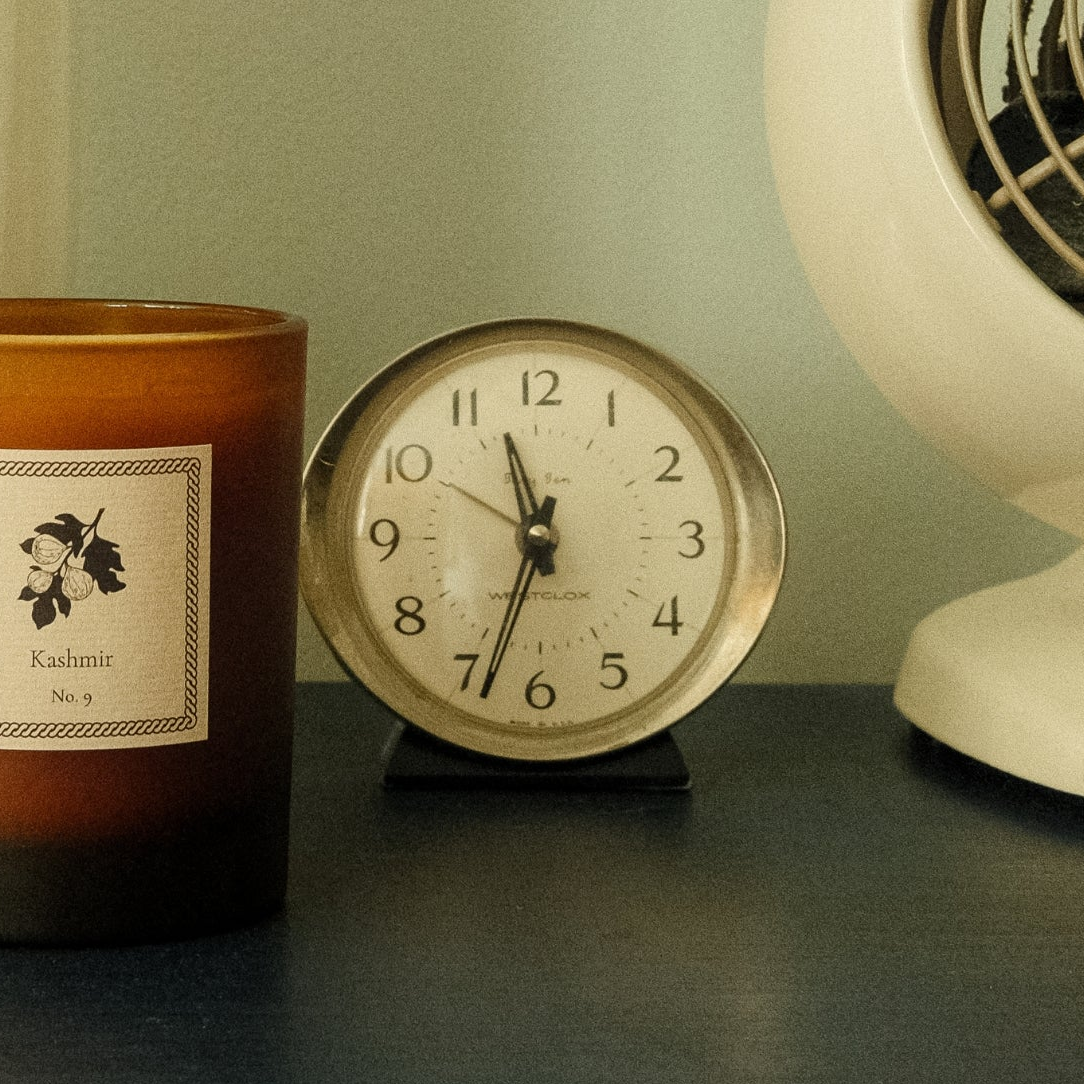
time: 11:33
